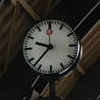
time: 9:37
